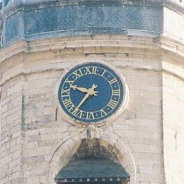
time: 9:36
